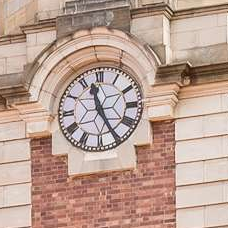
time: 11:25
